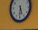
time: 5:31
